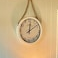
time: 12:09
